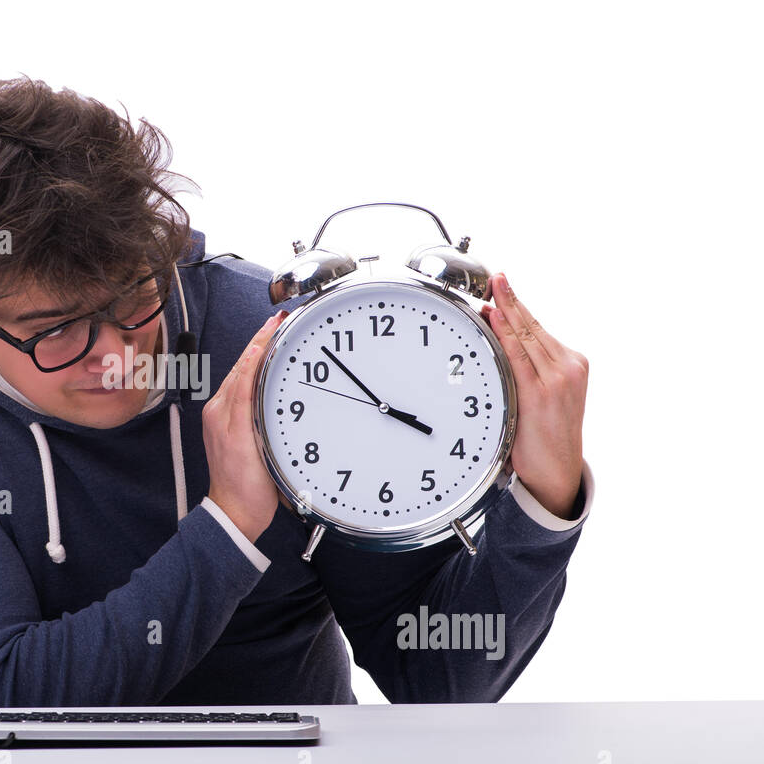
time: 3:52
